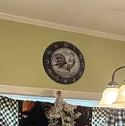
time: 7:42
